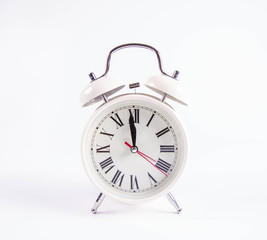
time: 11:58
